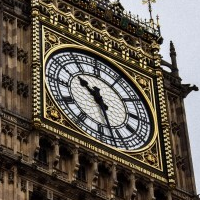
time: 10:27
